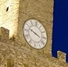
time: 3:48
